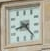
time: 8:23
